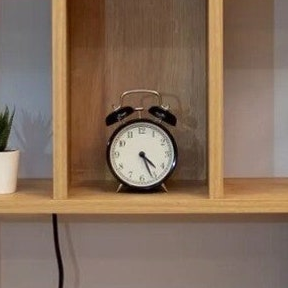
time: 4:26
